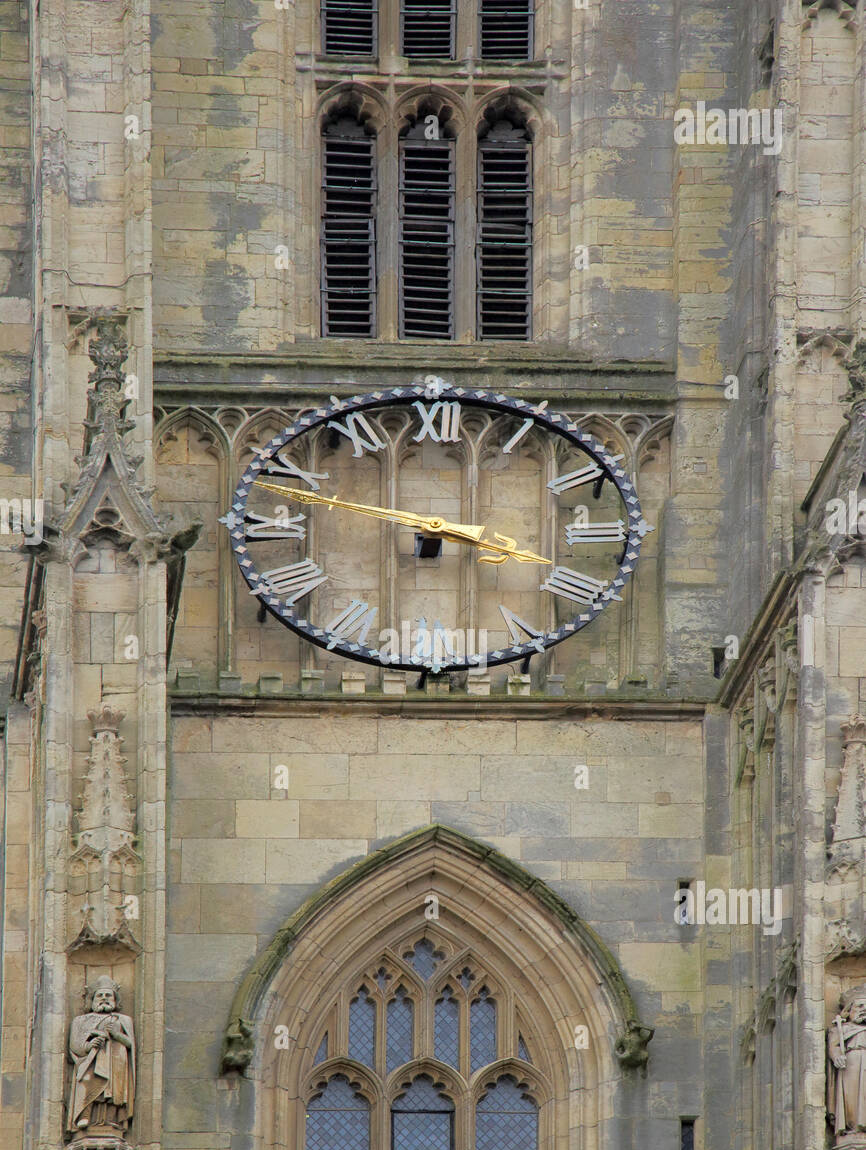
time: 3:48
